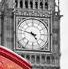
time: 4:47
